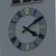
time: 4:09
